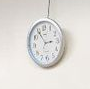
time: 2:54
